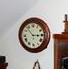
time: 2:53
